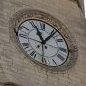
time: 11:06
